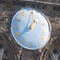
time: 12:38
